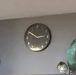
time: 2:50
